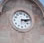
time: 3:14
